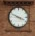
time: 3:48
